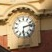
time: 6:13
